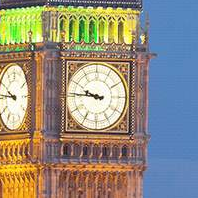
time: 9:45
